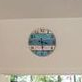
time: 3:29
